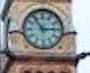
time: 2:53
